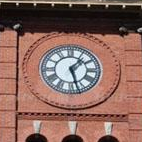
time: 1:27
